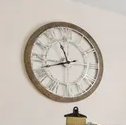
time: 11:42
